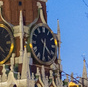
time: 4:31
